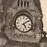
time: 5:08
